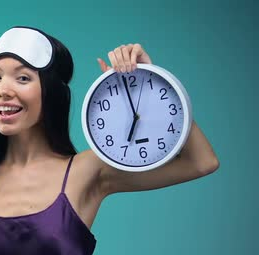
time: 6:58
